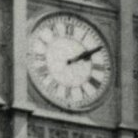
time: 2:09
